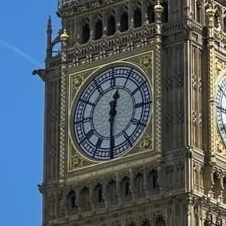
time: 12:30
